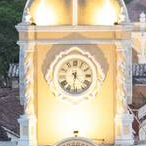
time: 4:31
